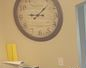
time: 9:07
